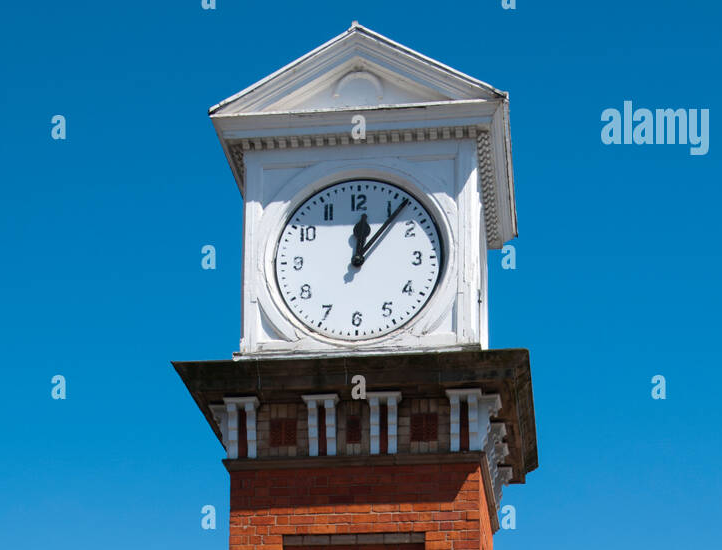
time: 12:06
